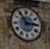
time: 2:54
